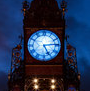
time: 5:14
